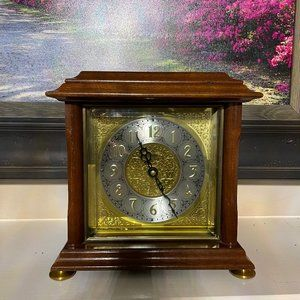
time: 11:24
